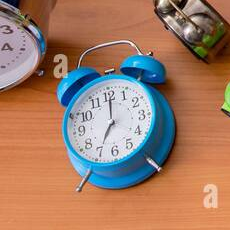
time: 7:00
